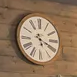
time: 5:19
